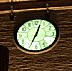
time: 12:34
